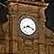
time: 8:18
